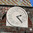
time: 2:23
